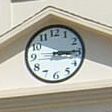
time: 3:14
